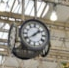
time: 1:39
